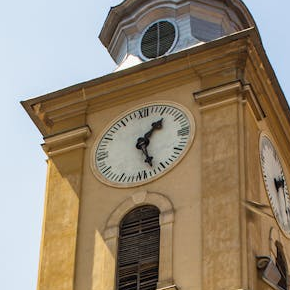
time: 1:27
